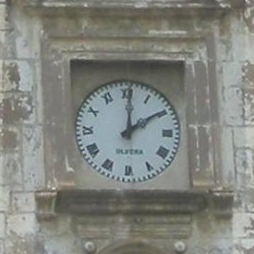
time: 2:00
